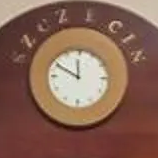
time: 11:49
